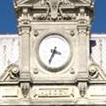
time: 3:34
